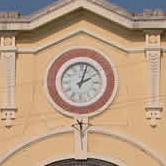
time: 2:03
